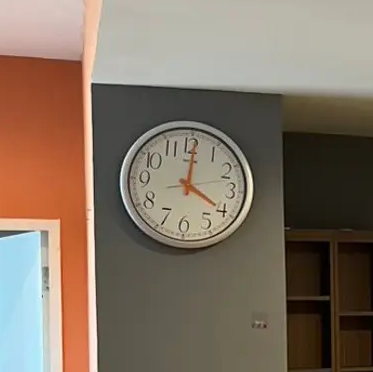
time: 4:00
